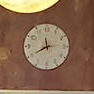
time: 11:40
